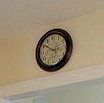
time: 2:50
